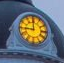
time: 8:59
